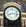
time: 8:16
